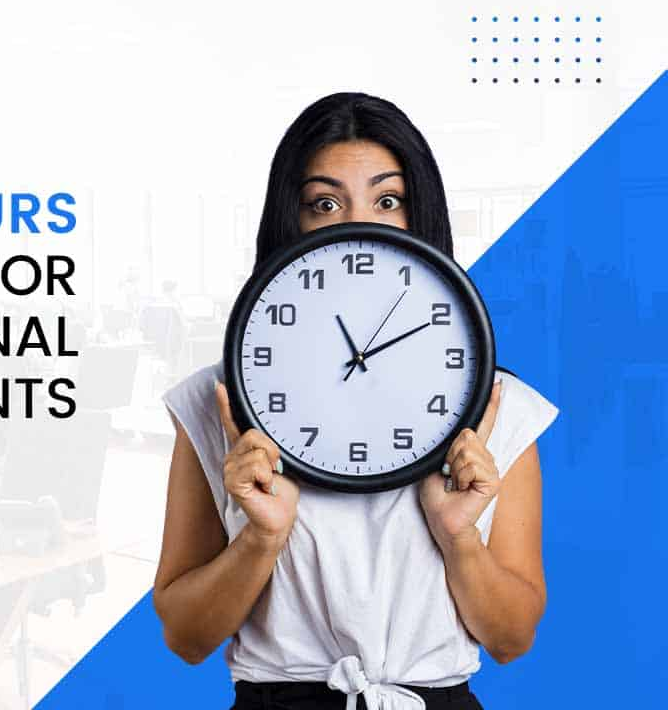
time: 11:10
